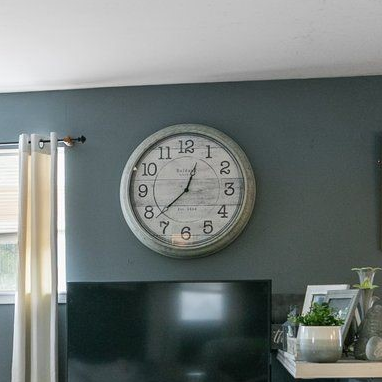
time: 12:37
